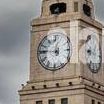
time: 12:46
